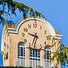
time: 9:33
